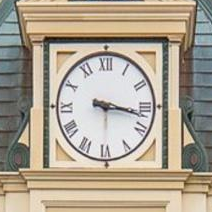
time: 3:17
